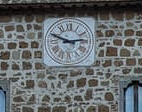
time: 2:48
